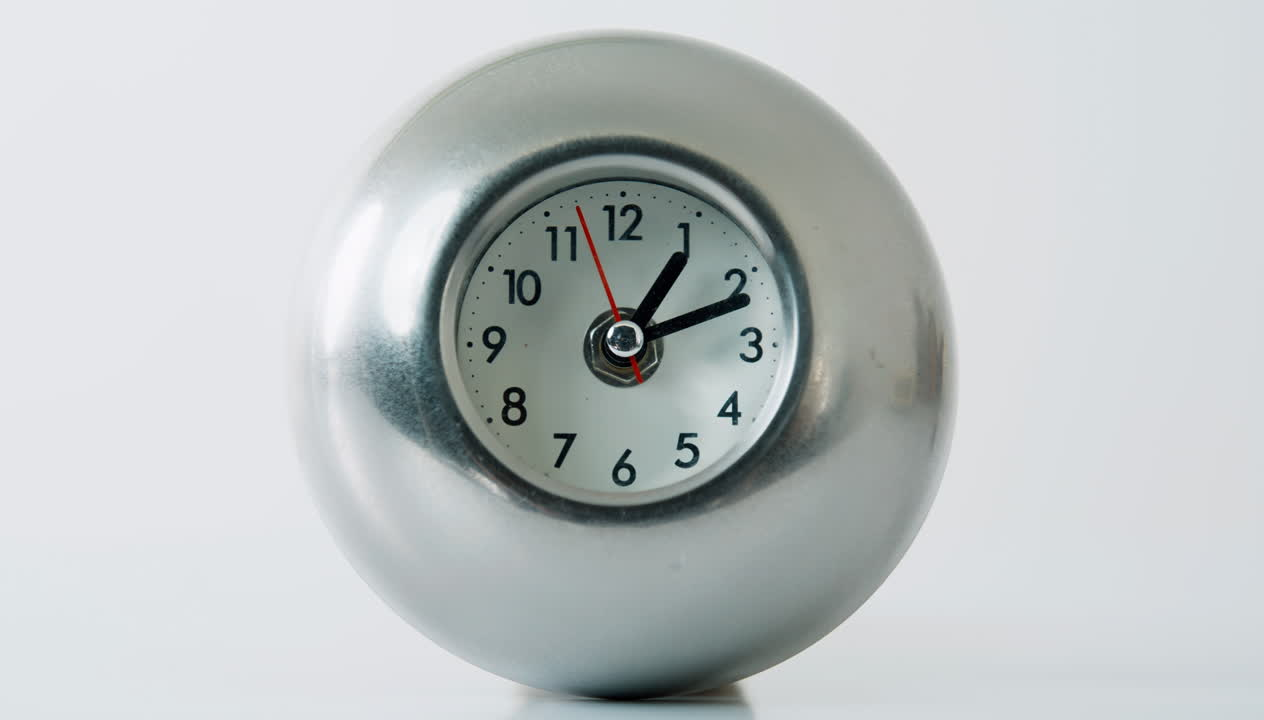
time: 1:11
